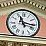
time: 11:16
